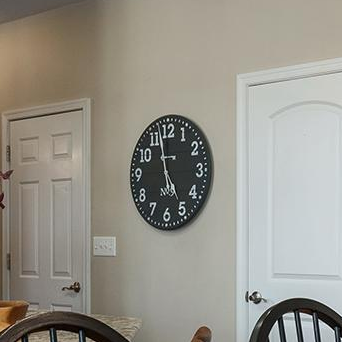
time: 4:57
